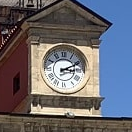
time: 3:11
